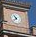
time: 10:37
